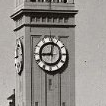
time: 9:01
